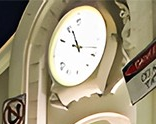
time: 11:17
